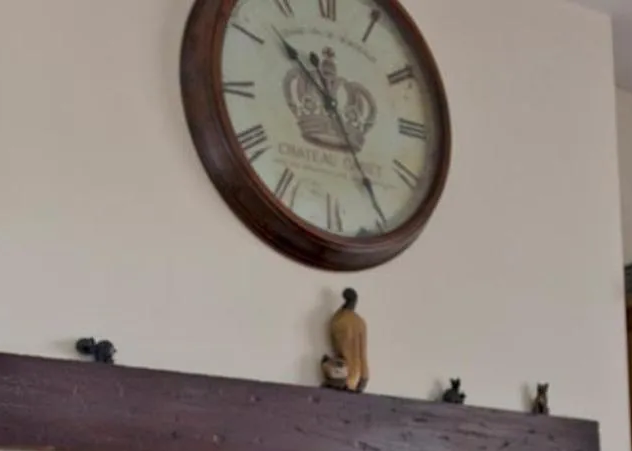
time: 10:24
